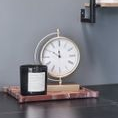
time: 11:50
